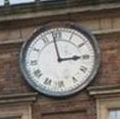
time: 2:58
